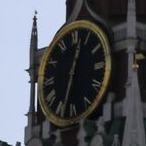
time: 12:33
